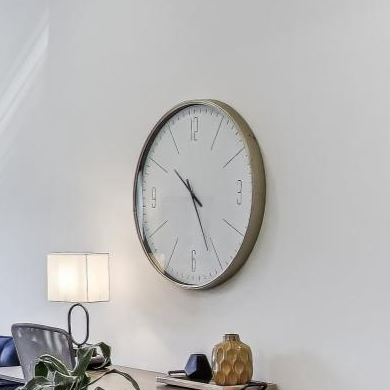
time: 10:25
